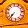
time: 7:37
